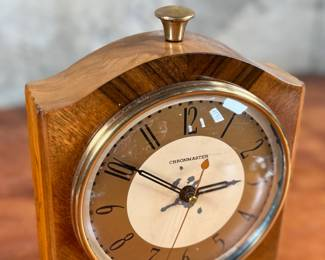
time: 2:50
